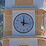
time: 12:16
